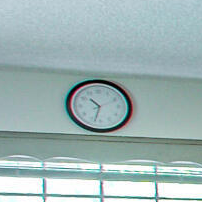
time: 10:33
